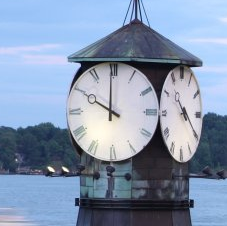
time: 9:59
